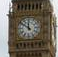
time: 11:51
